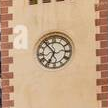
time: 6:53
